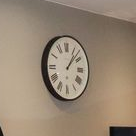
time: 1:07
